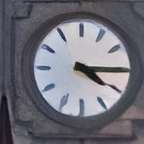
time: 4:15
